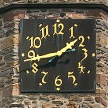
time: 1:43
